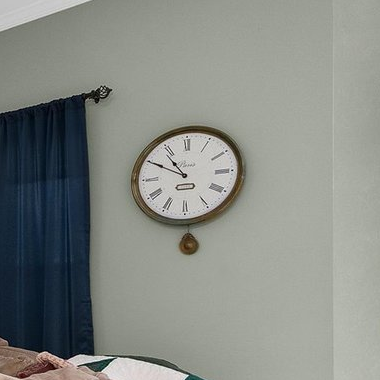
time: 10:49
